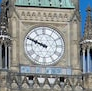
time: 9:48
